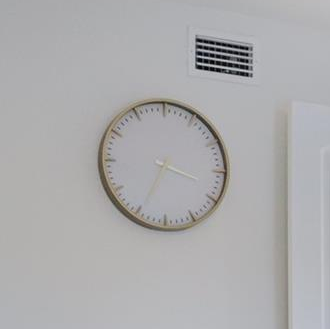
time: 3:34
